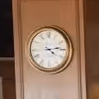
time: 4:13
